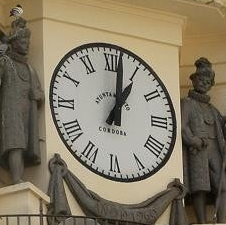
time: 1:01
